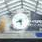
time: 8:27
